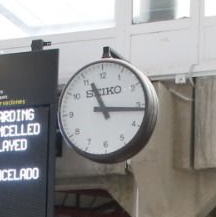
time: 11:16
